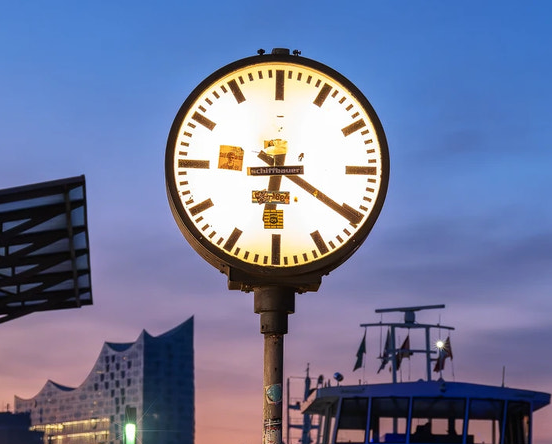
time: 6:20
